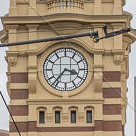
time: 3:36
